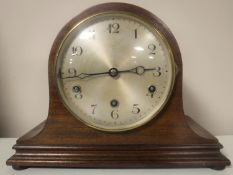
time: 2:44
